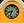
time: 8:33
